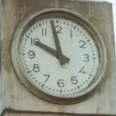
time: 9:58
